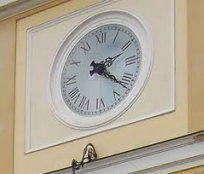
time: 2:21
